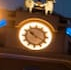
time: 10:19
